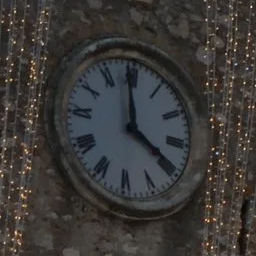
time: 3:59
